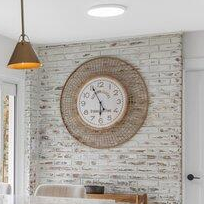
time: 5:55
